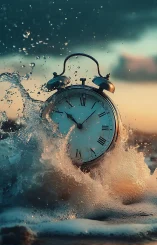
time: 10:07
